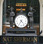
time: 4:35
